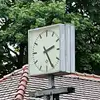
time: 2:25
